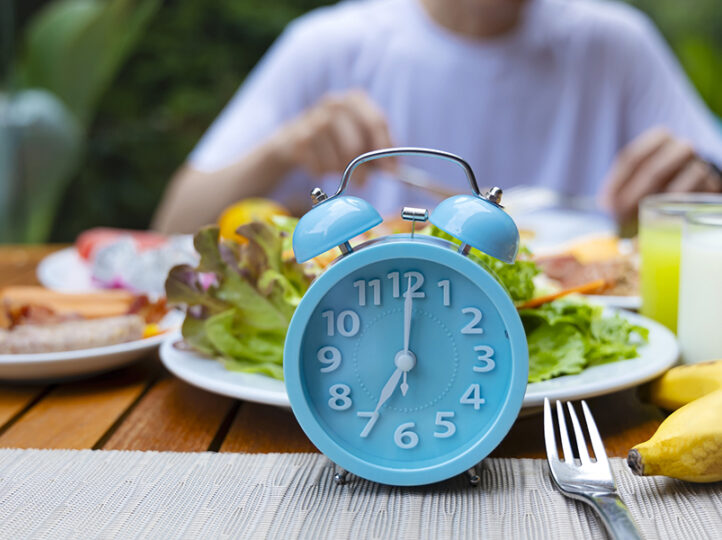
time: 7:00
